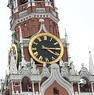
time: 4:14
